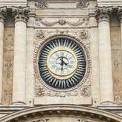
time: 4:30
